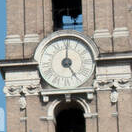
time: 5:00
